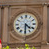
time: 4:30
